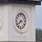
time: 7:38
